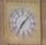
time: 7:07
